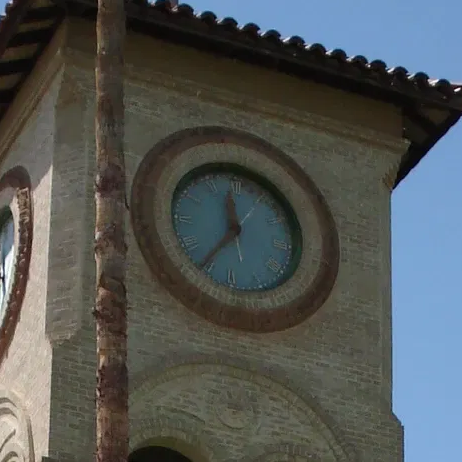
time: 11:35
